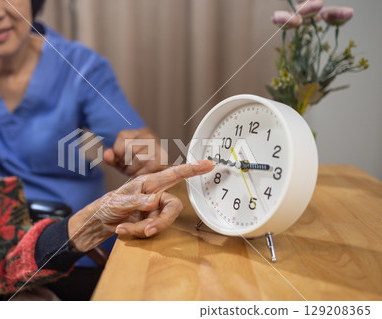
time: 2:44
